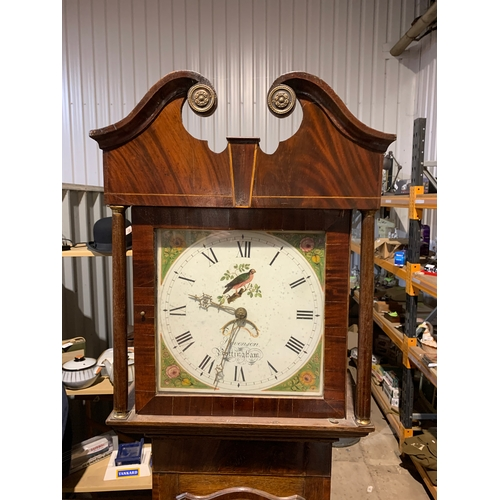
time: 12:32
